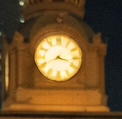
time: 3:40
